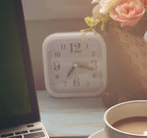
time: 7:17
